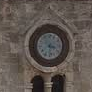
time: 3:31
